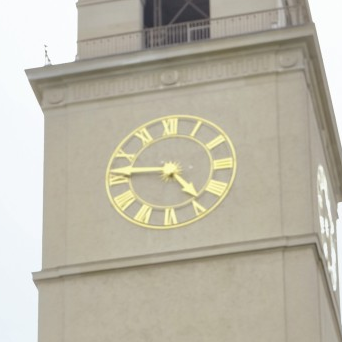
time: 4:46
